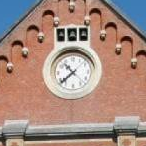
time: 10:38
